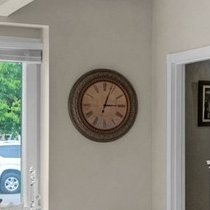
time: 3:03
